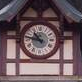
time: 10:47
